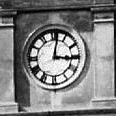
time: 3:01
